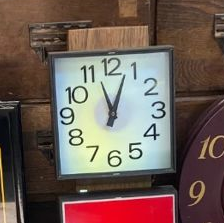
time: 11:03
